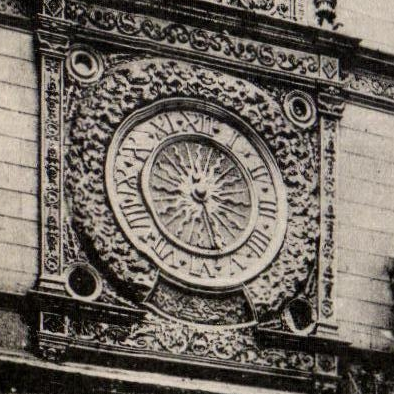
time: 3:27
